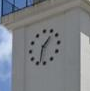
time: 1:32
